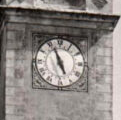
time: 4:56
